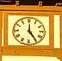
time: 12:24
